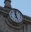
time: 4:59
